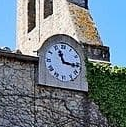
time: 11:15
